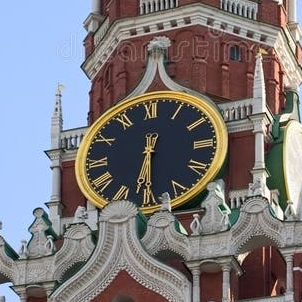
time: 6:30
